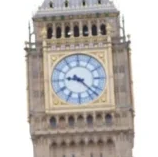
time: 9:22
